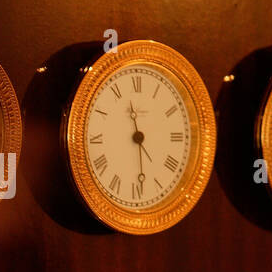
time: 11:29
